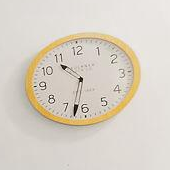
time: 10:32
